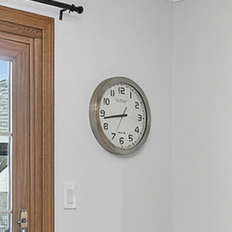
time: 8:43
